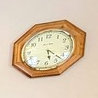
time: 5:21
